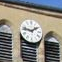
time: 1:46
